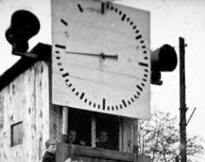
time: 2:44
